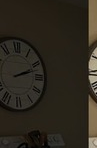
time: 2:12
